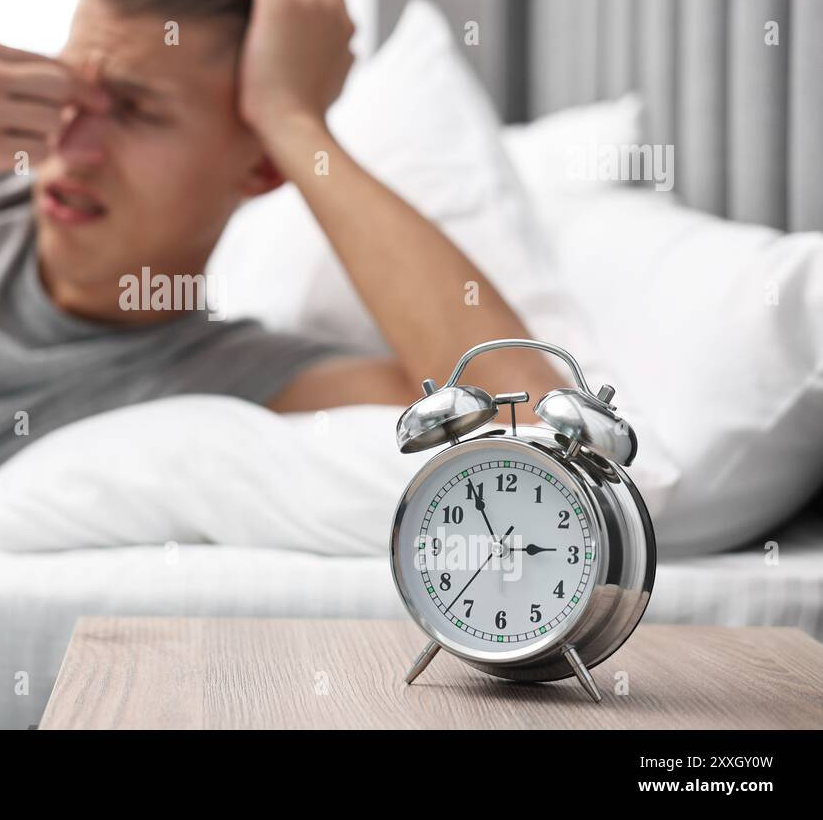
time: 2:55
